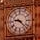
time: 9:22
